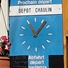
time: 11:06
